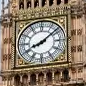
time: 8:08
